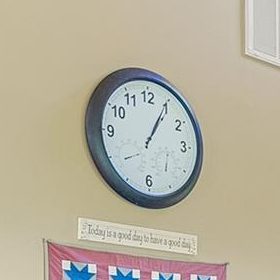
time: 1:04
